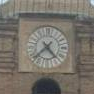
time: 4:37
